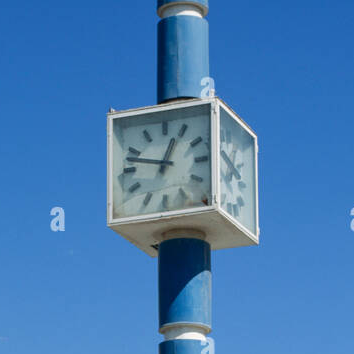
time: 12:47
